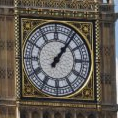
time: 1:06
